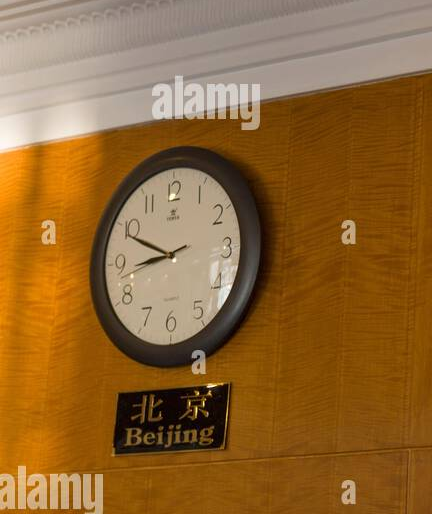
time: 8:48
